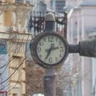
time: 2:34
